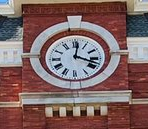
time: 12:18
